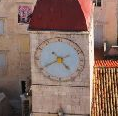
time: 4:40
